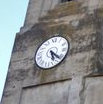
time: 5:21
